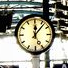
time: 12:06
